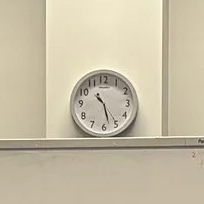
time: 10:27
